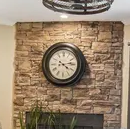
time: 4:14
